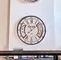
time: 1:37
